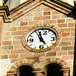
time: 4:56
